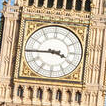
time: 3:44
